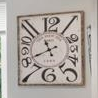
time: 10:41
